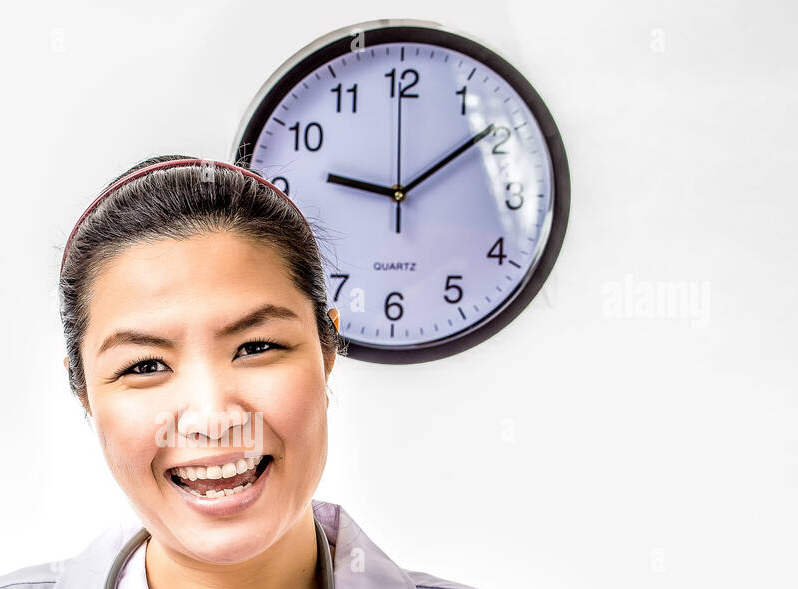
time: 9:08
